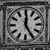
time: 5:00
